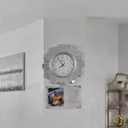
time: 7:53
